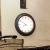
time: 7:50
